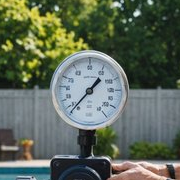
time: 1:36
